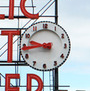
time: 9:43
